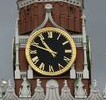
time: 10:48
